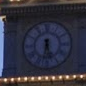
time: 5:32
